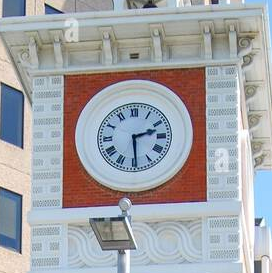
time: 2:29
